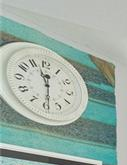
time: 11:29
